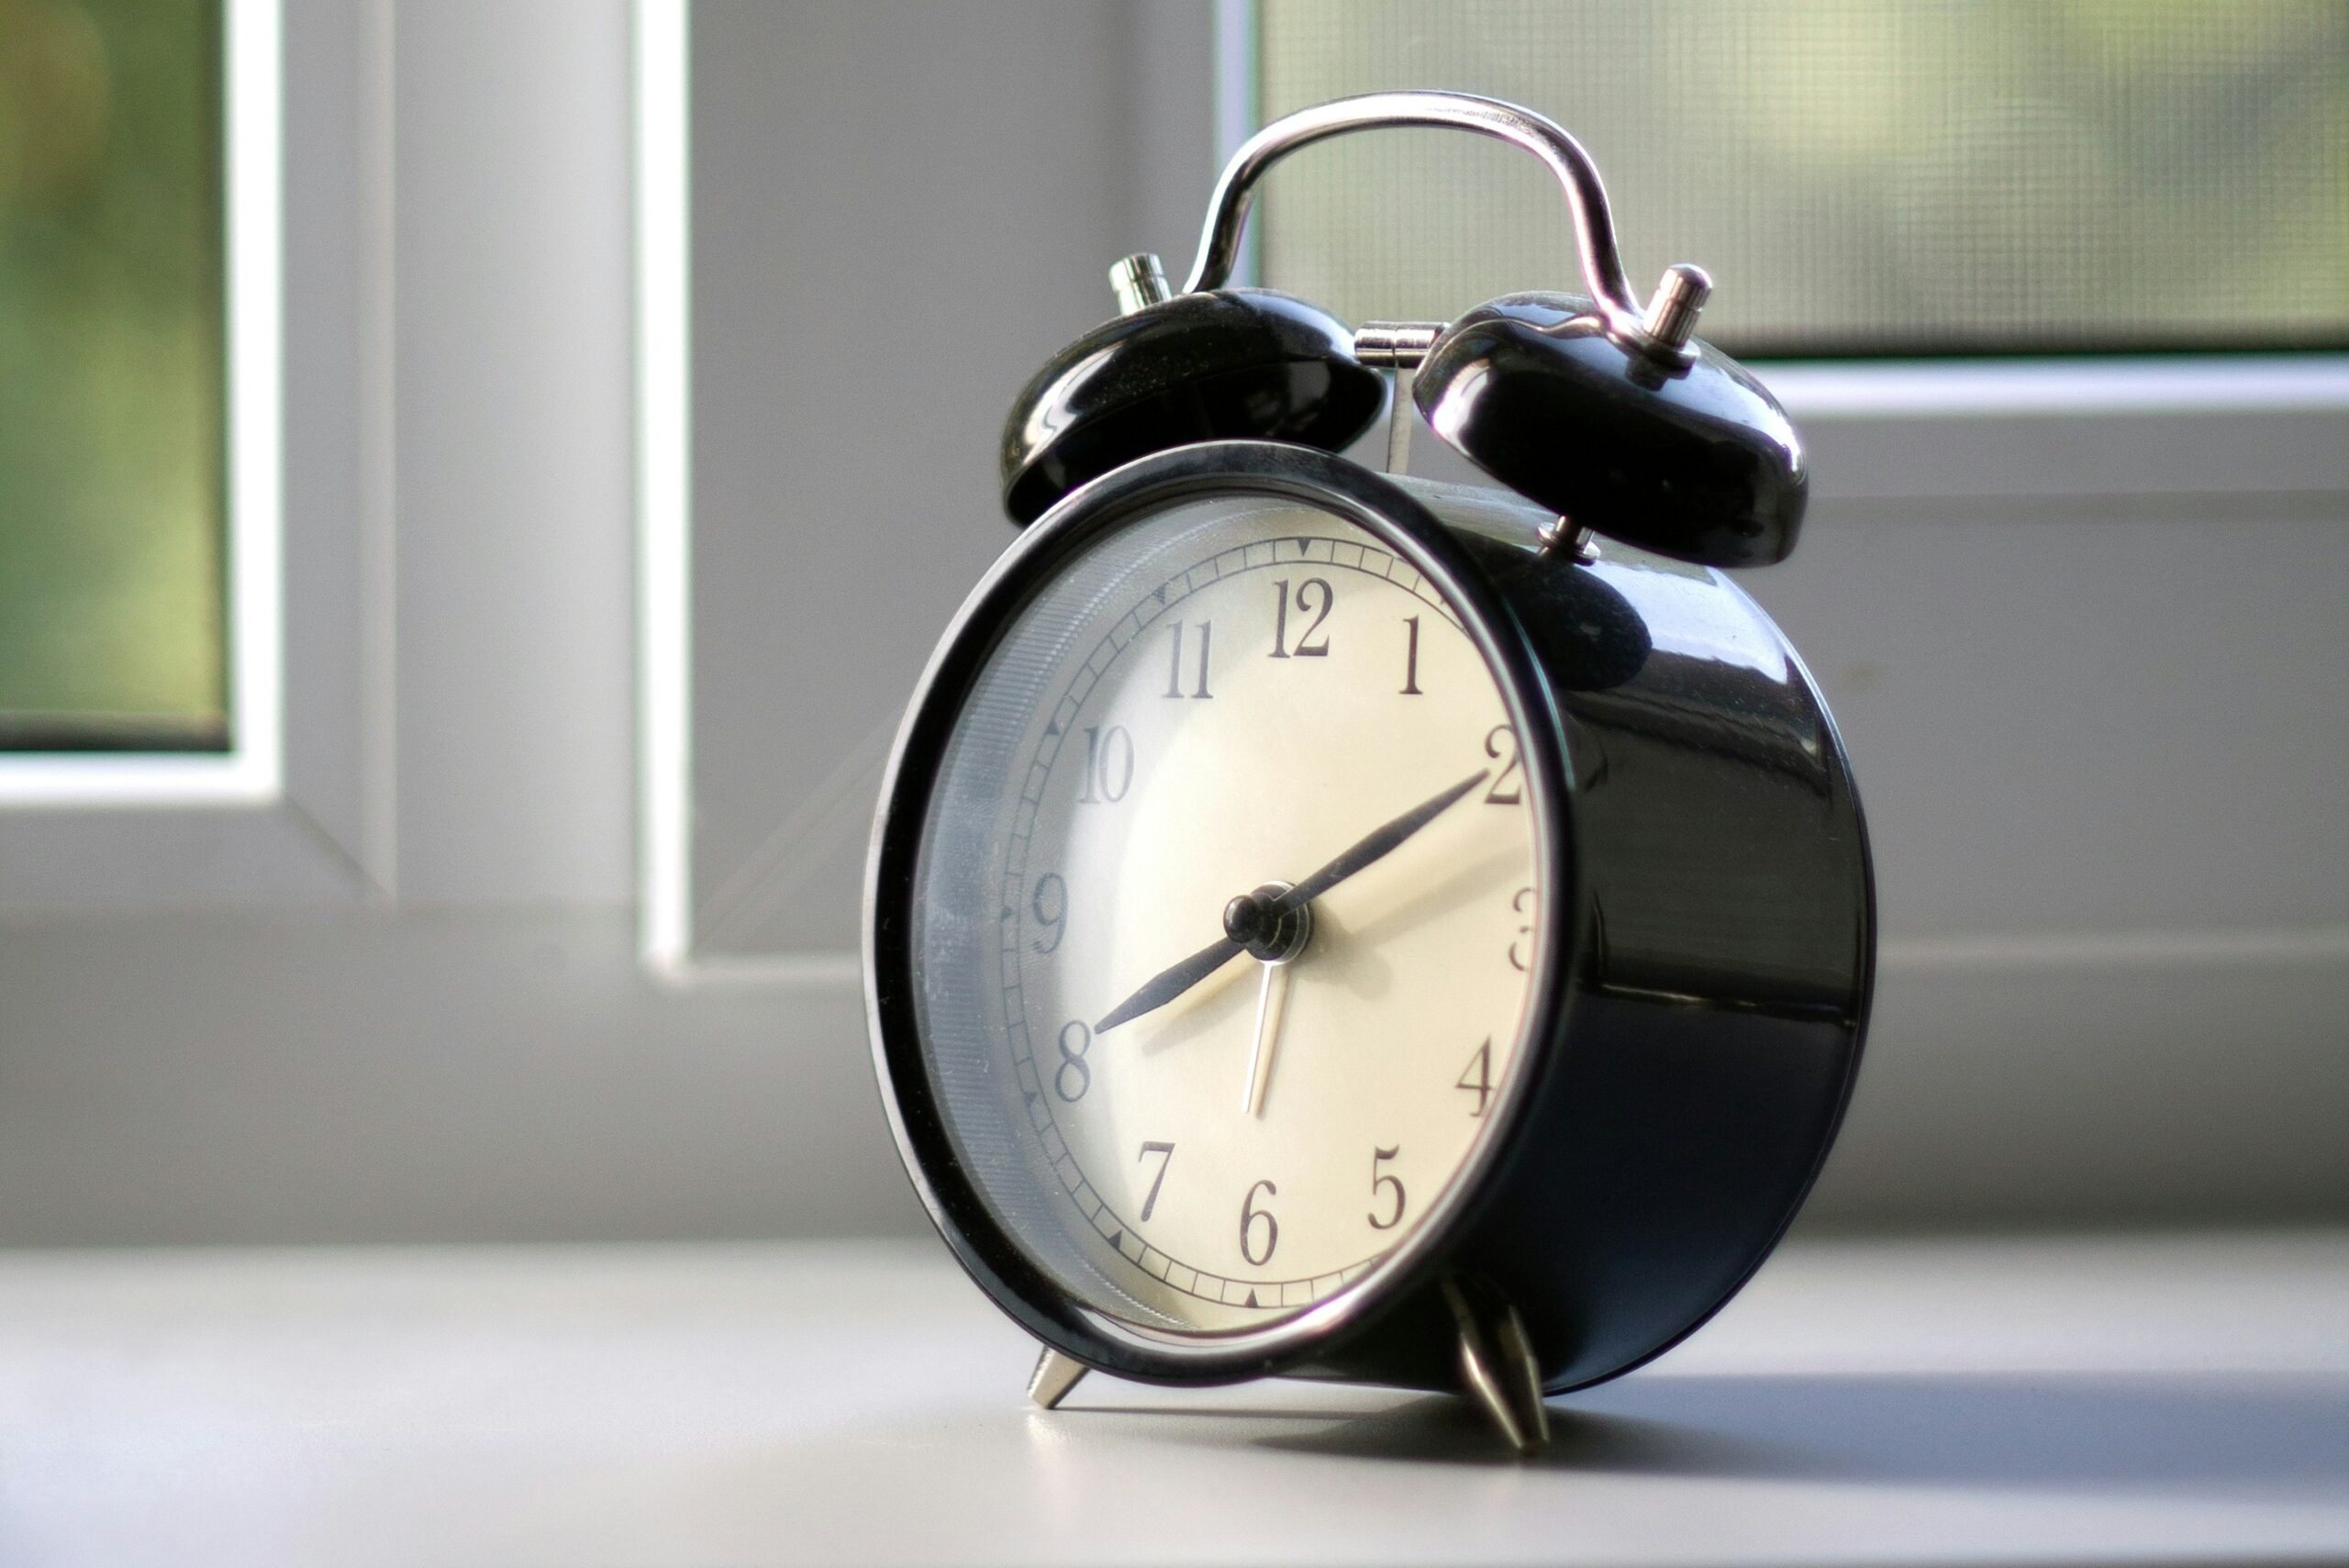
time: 8:10
